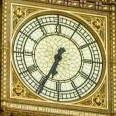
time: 6:34
